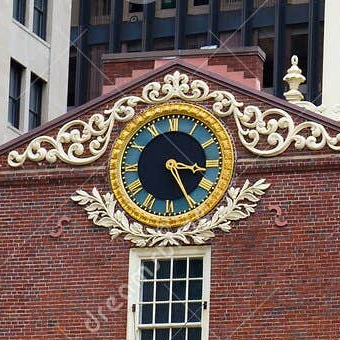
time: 3:25
